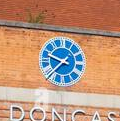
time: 9:37
